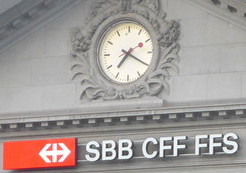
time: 7:20
